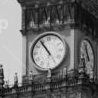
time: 10:54
